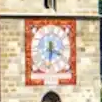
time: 6:18
